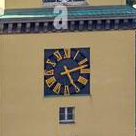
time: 5:12
